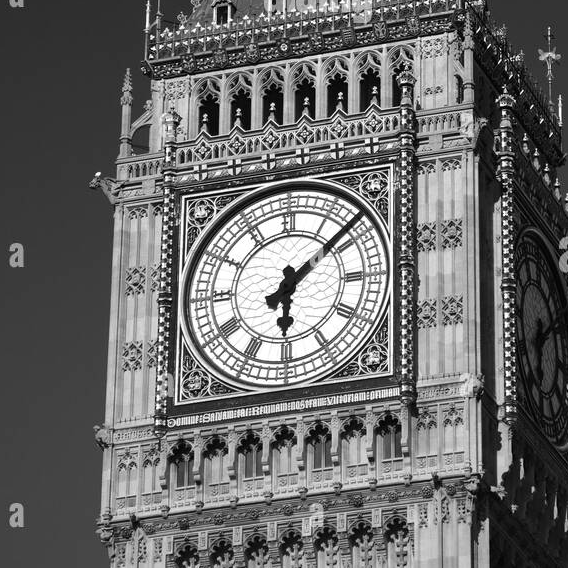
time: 6:08
